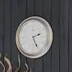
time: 2:25
